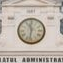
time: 11:32
